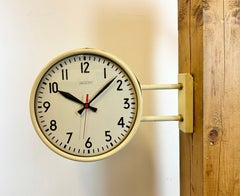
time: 10:07
